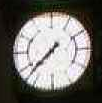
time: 7:37
